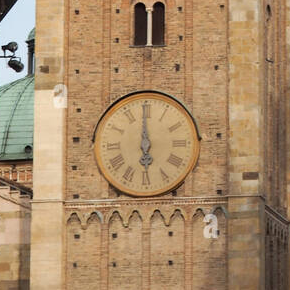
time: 5:59
